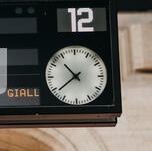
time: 10:38
